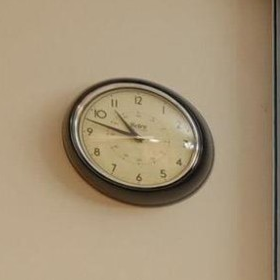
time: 10:47
